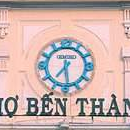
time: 7:28
